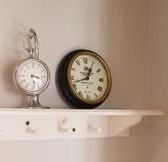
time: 12:42
